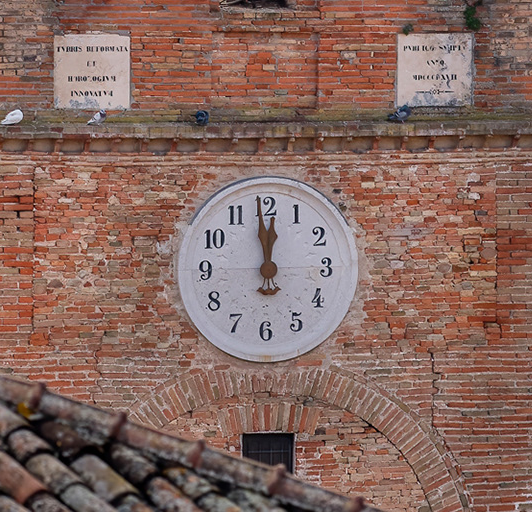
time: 11:58
